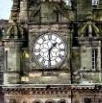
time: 1:30
